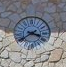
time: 3:39
